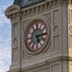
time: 5:14
